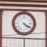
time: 4:20
